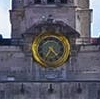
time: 4:35
